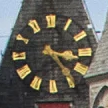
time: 3:24
